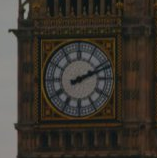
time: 2:11
